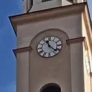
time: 11:22
